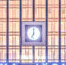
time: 7:00
